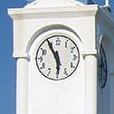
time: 5:55
